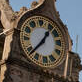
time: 1:38
